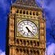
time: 5:23
